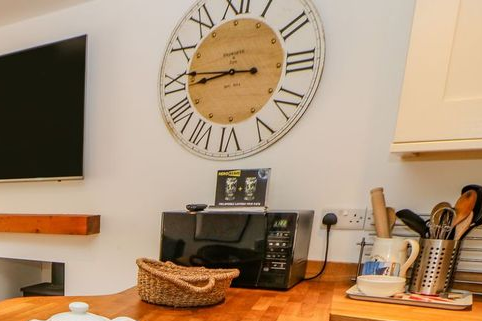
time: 8:45
